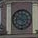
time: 4:14
